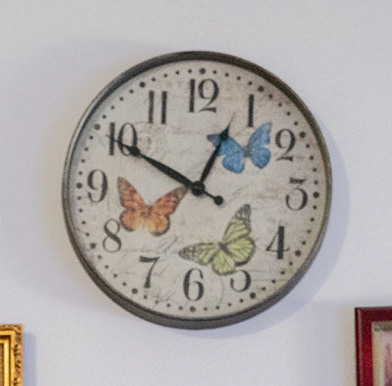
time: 12:49
